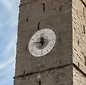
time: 11:46
